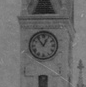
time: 12:53
